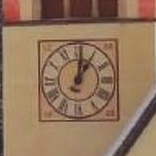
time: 1:01
